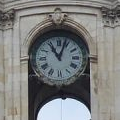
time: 11:03
